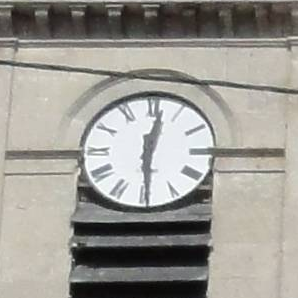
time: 12:29
